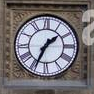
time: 1:34
